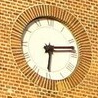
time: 6:13
